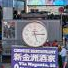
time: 5:15
